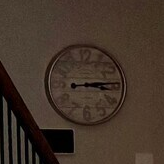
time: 3:14
